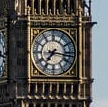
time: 7:16
